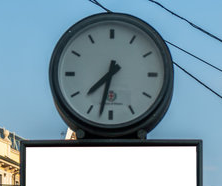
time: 7:32
